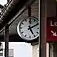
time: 5:10
